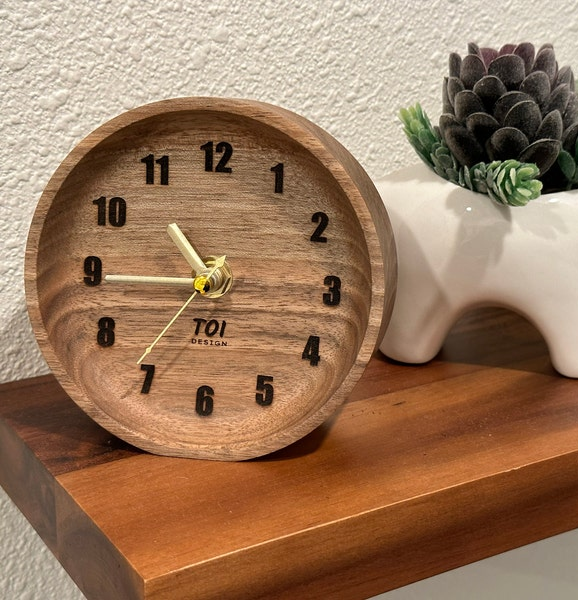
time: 10:44
